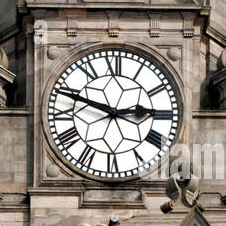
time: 2:48
